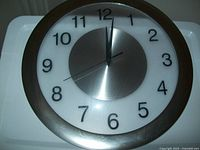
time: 6:01
